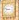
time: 8:47
